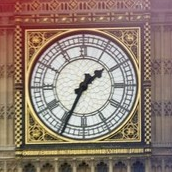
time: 1:34
